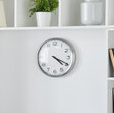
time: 4:19
